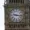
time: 9:16
